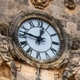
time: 12:47
